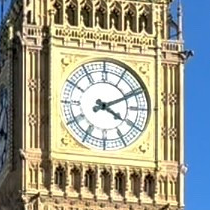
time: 4:10
